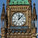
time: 12:07
